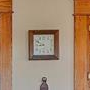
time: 8:49
